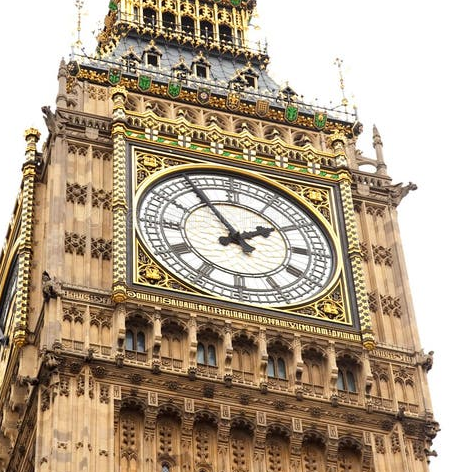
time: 1:54
